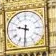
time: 9:31
